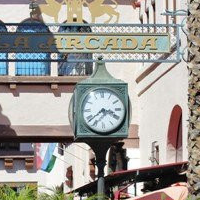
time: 3:39
